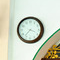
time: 7:18
